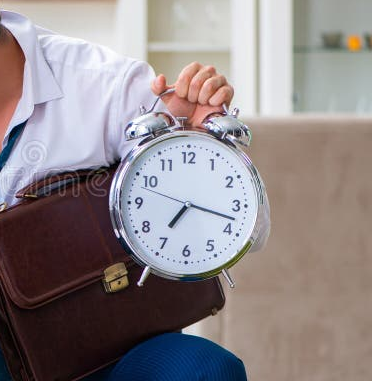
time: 7:17
